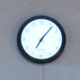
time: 7:06
